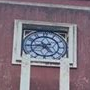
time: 4:44
